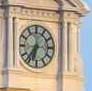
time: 6:36
